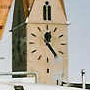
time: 12:23
